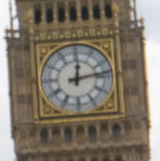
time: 12:13
